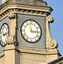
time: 2:58
